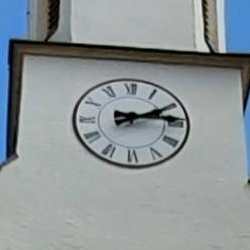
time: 2:14
